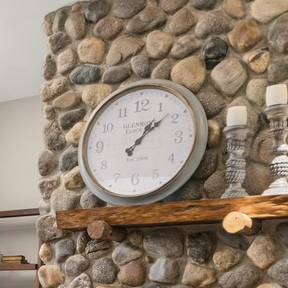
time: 1:08
